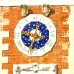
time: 12:33
